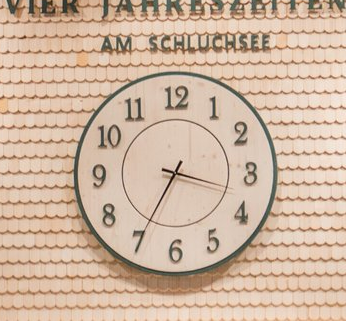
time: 3:34
